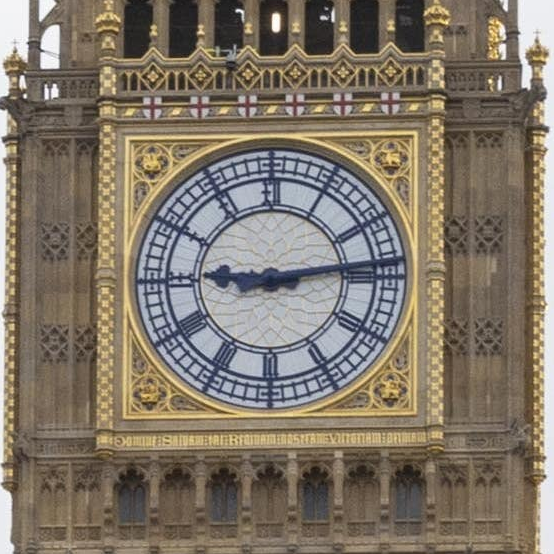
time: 9:13
